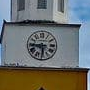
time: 5:44
